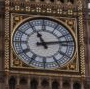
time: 11:13
